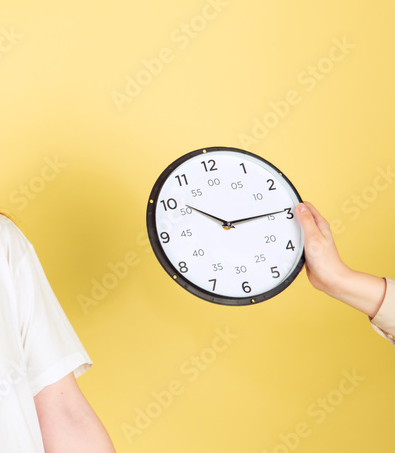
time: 10:14
